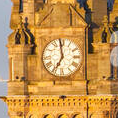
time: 6:58
